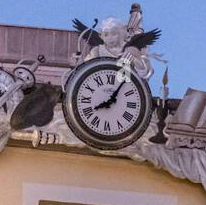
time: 8:05
